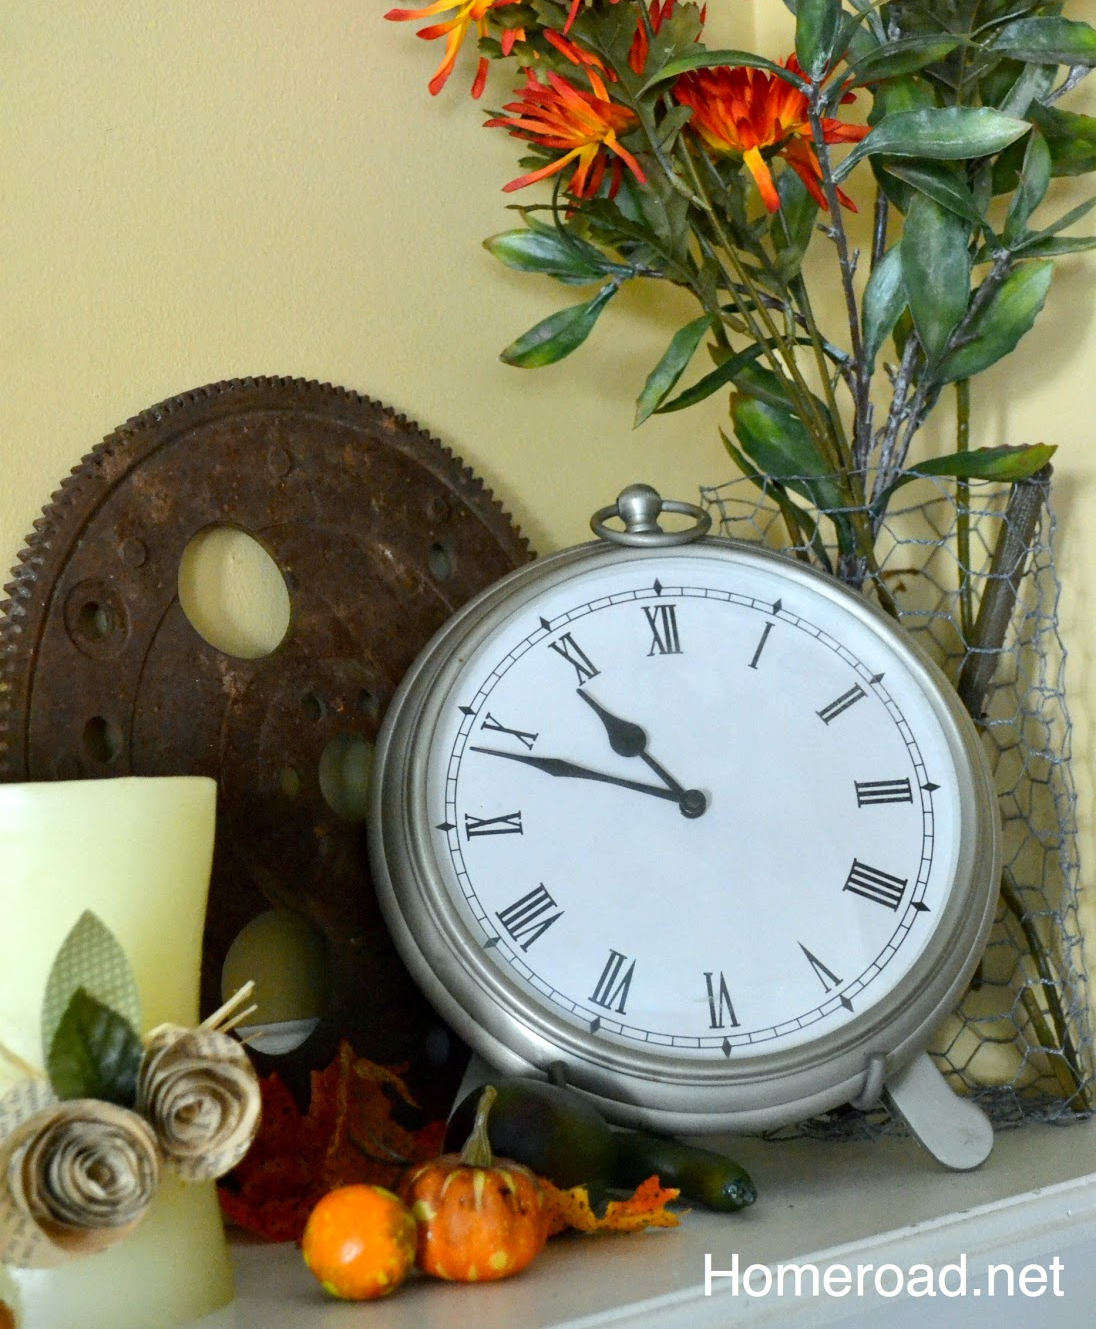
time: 10:48
